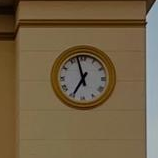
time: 6:57
